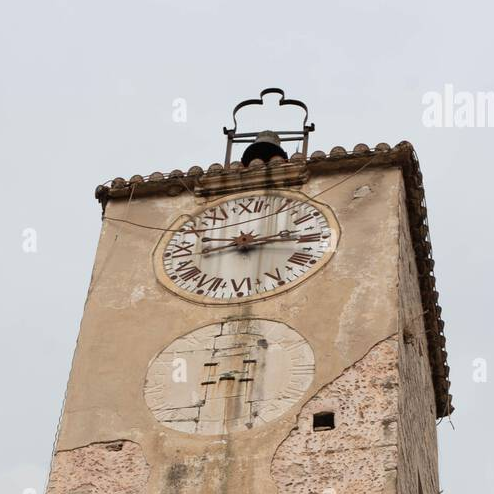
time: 9:14
